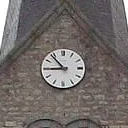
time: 8:53
